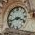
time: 3:43
